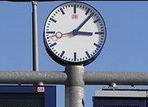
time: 3:07
